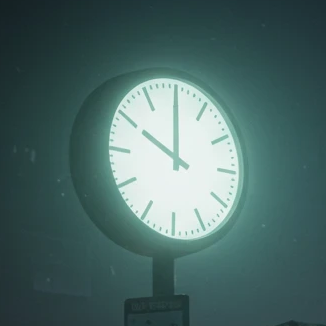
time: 10:00
